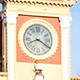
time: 8:19
